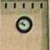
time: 10:47
